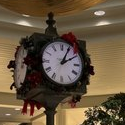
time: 2:04
